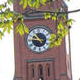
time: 10:45
